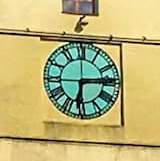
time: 6:14
